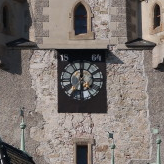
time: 5:59
